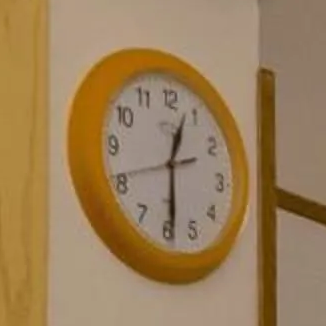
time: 12:29
